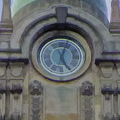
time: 5:03
